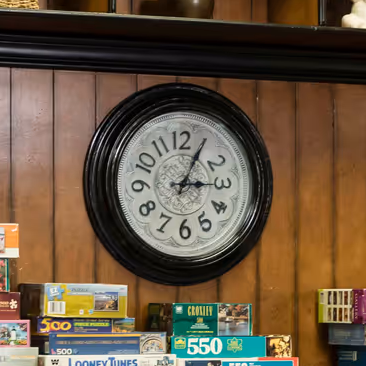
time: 3:04
